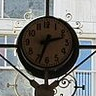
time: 2:33
